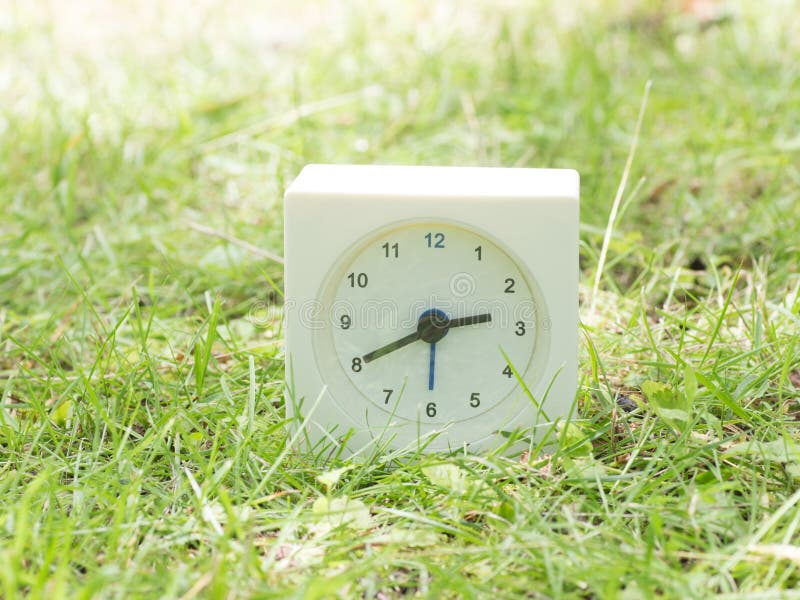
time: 2:40
